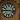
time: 9:16
